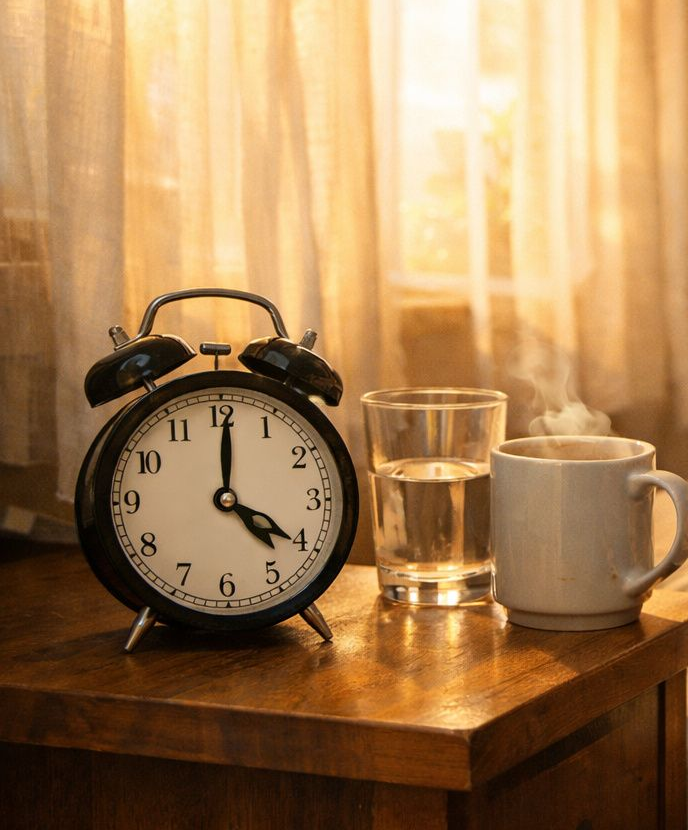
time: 4:00
